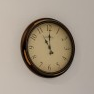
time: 11:00
